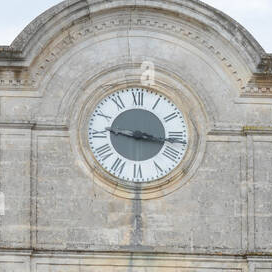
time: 9:16
